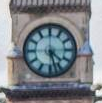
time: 4:27
